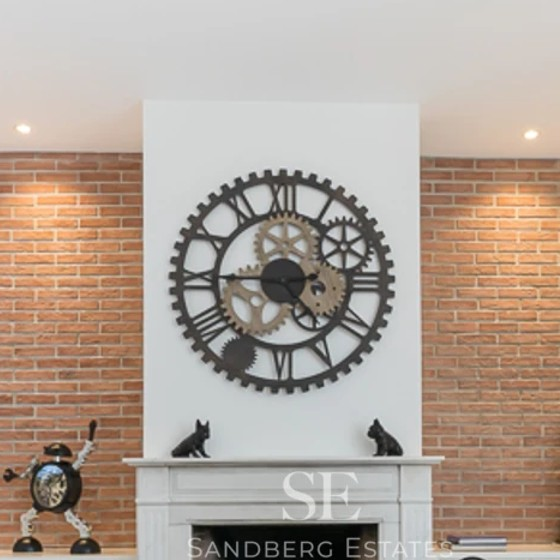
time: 4:44
